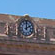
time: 2:00
